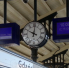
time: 10:00
